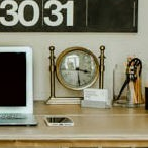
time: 3:29
